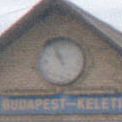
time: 10:56
